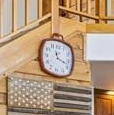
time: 11:18
